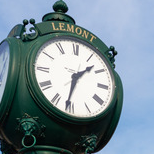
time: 1:31
